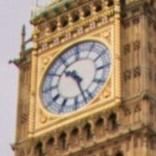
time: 10:26
